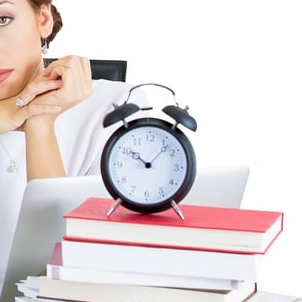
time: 10:07
